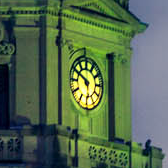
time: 5:49
